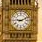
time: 9:11
